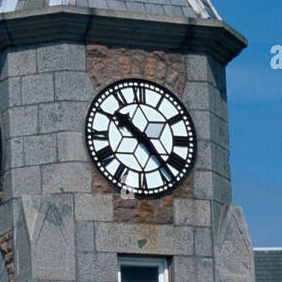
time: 10:22
